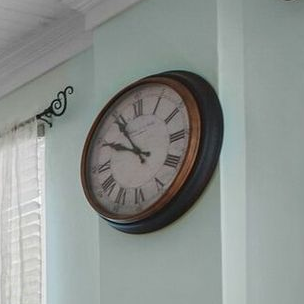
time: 9:54
